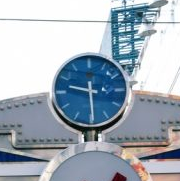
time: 9:29
